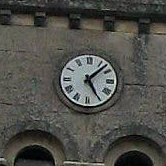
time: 5:07
